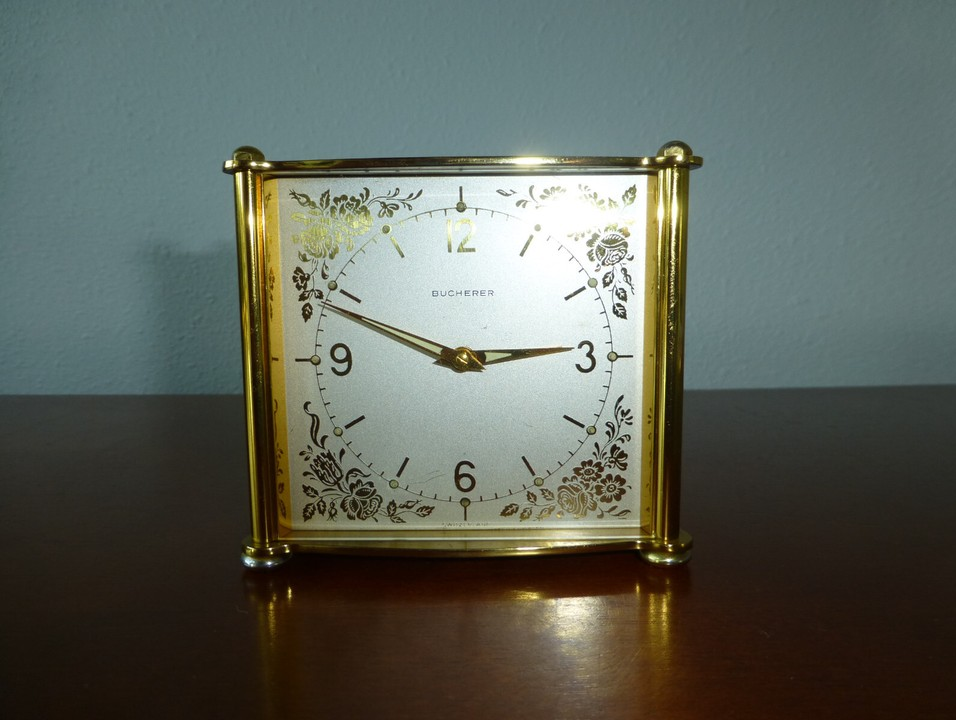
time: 2:48
